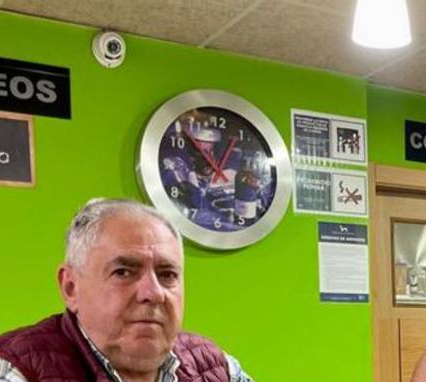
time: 12:52
